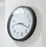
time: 9:20
